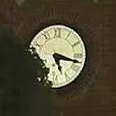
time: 5:17
